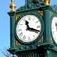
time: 11:18
